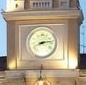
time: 8:13
